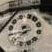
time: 6:40
